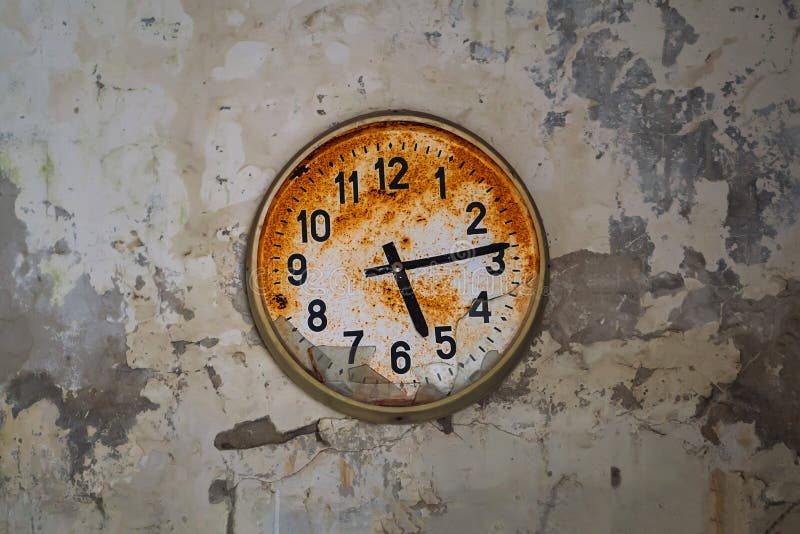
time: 5:13
